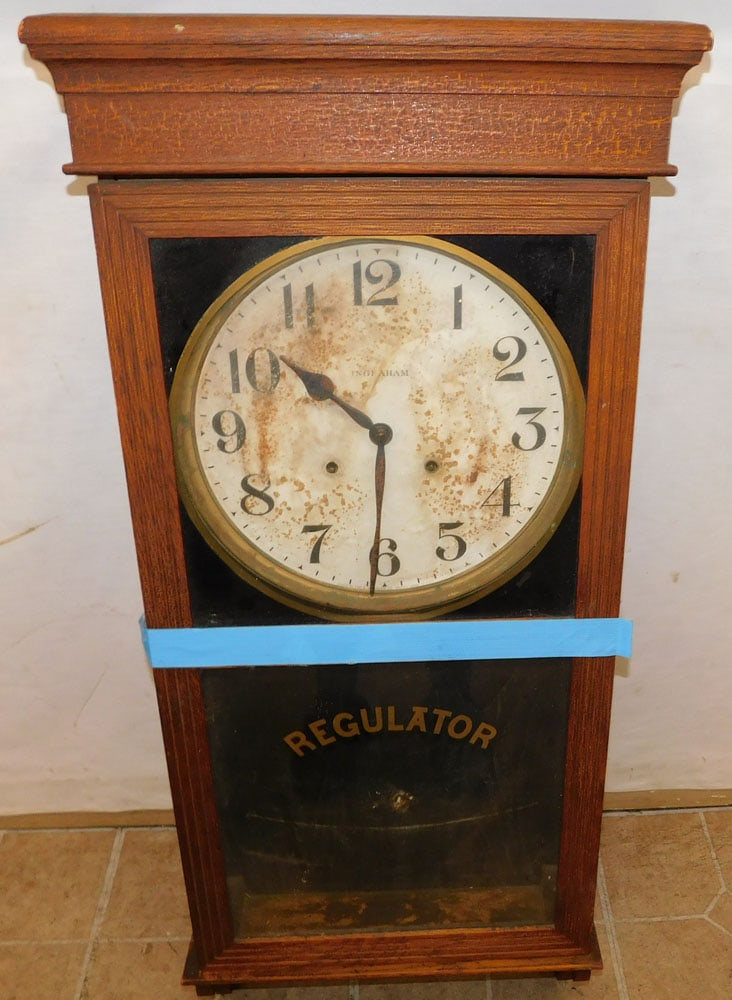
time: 10:30
